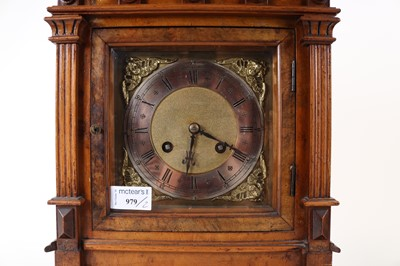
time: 6:19
